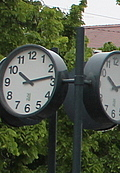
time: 10:13
